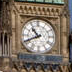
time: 10:41
